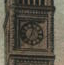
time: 7:02
